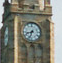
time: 8:33
